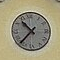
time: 10:37
